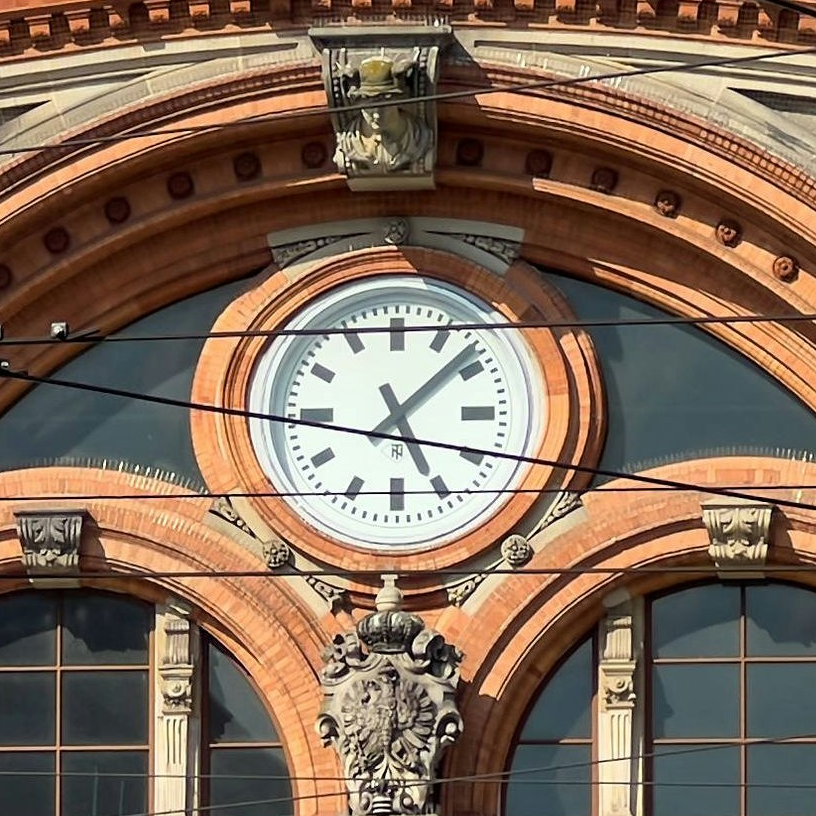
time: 5:08
